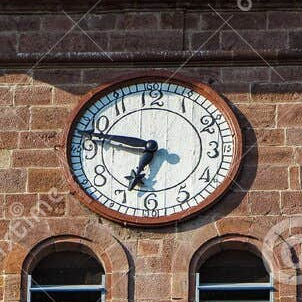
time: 6:47
